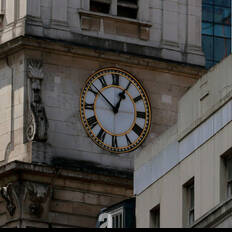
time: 12:51
